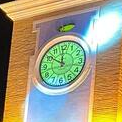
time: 11:50
